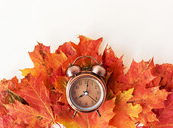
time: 8:02
